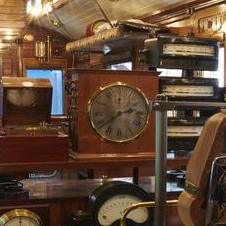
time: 2:38
